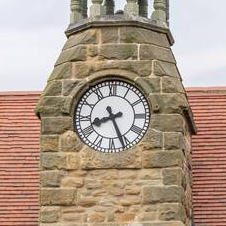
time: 8:26
